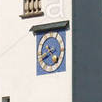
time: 4:40
